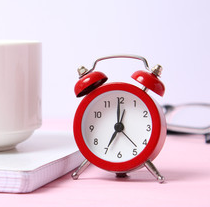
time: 7:00
